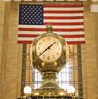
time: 1:38
